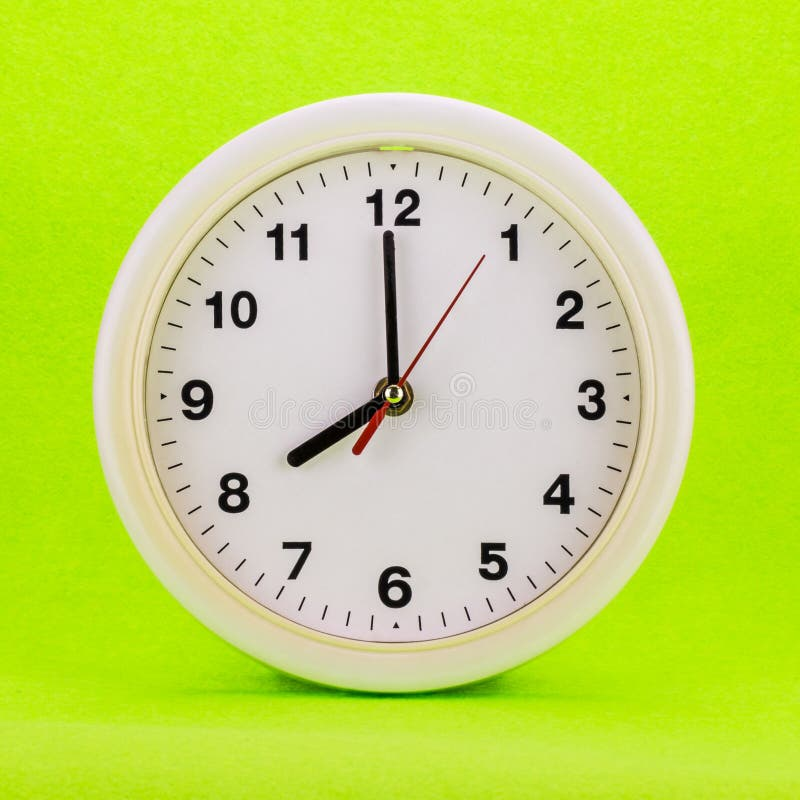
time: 7:59
